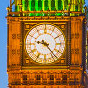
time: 9:23
